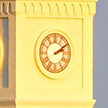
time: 2:09
